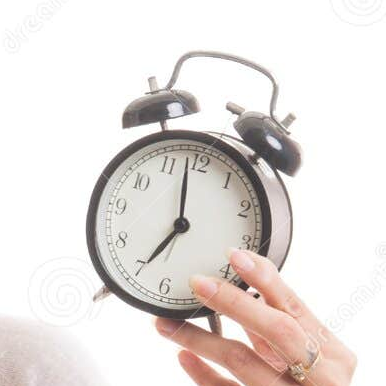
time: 6:58
